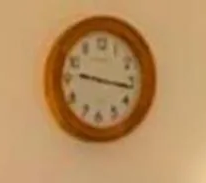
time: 9:16
